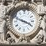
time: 3:48
